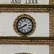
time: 7:40
